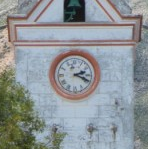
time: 2:18
